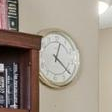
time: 12:21
